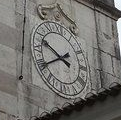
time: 9:40
